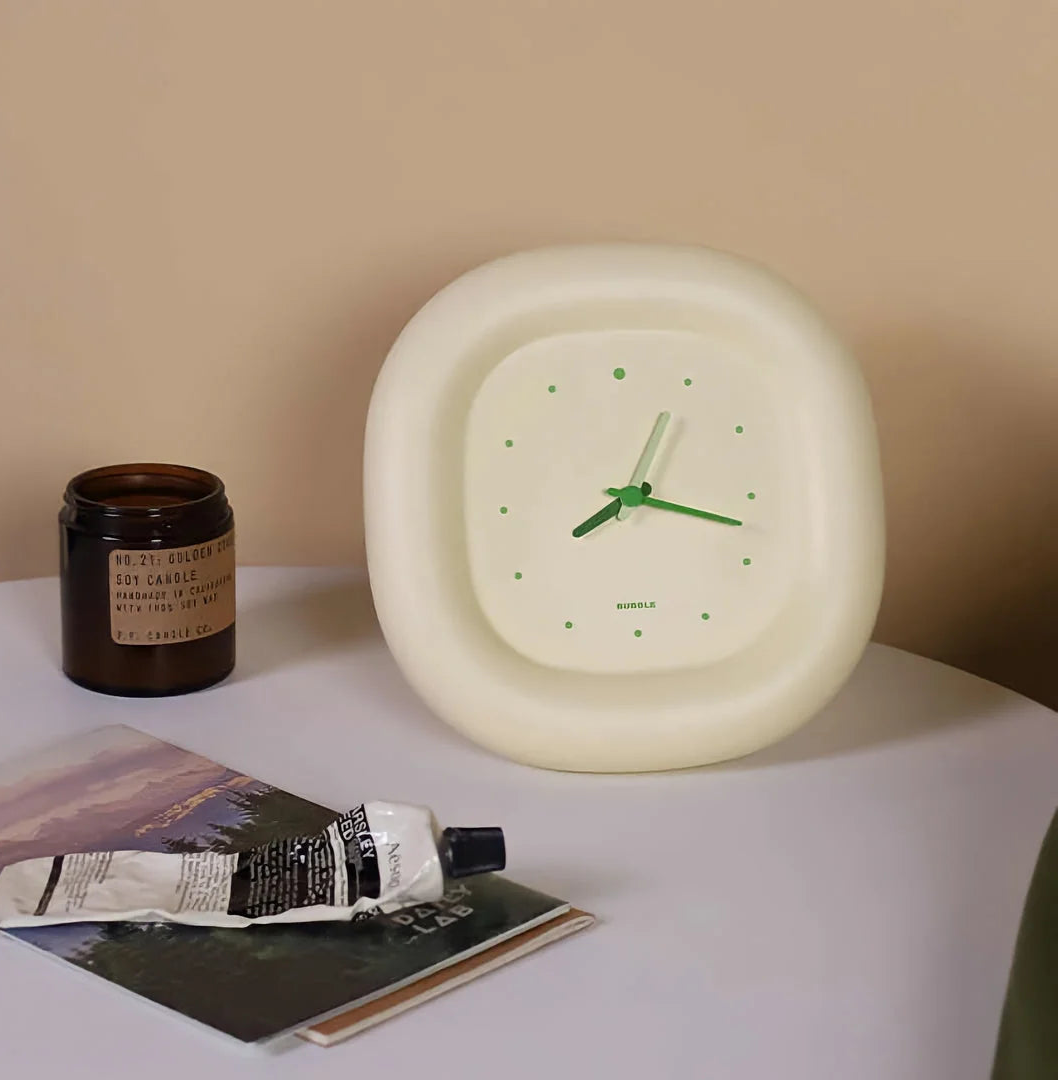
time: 8:17
